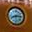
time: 8:14
